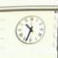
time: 10:33
